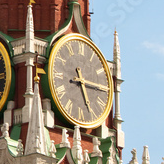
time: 5:15
